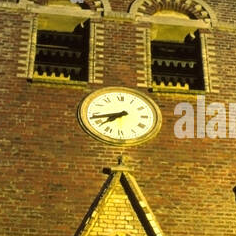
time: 7:42
